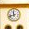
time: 11:42
